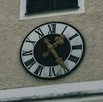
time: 1:24
